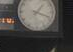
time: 1:18
